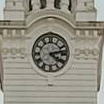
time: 4:12
